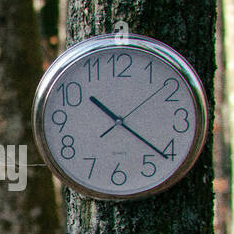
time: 10:21
